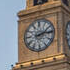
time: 2:13
